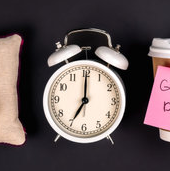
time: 7:00
